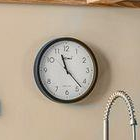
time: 11:22
